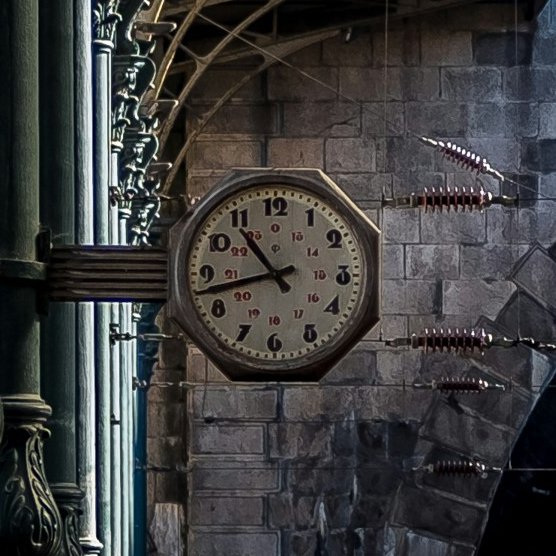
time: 10:42
